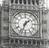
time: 1:33
